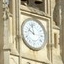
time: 9:57
